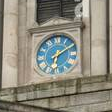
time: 6:10
